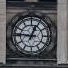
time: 12:46
